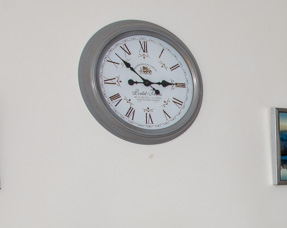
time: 2:52
